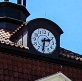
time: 2:31
